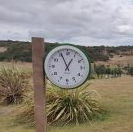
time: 12:55
